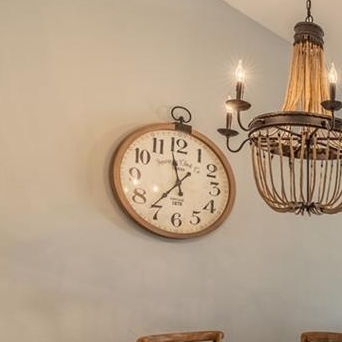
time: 11:36
